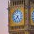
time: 7:24
